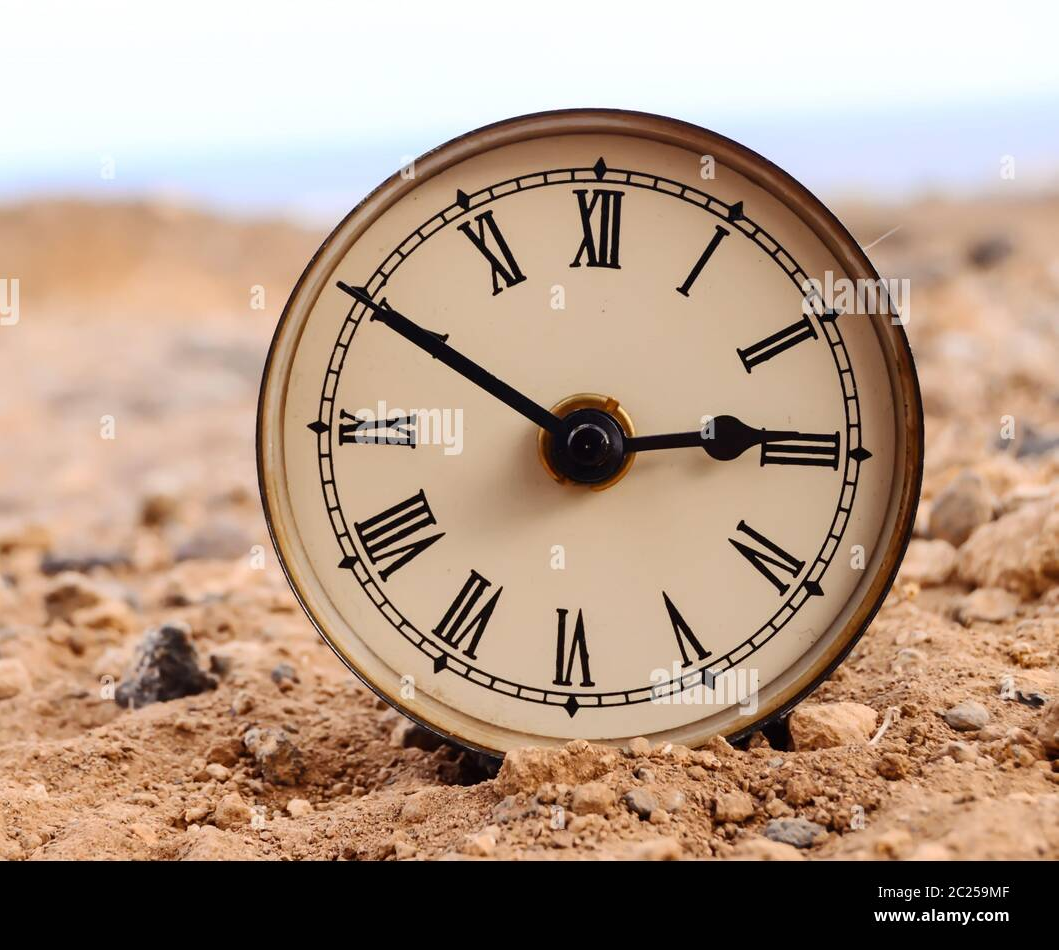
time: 2:49
